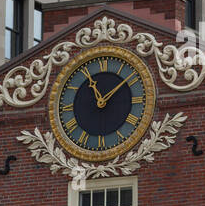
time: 11:08
